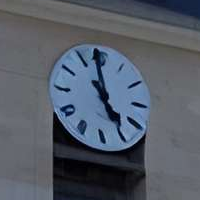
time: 4:58
